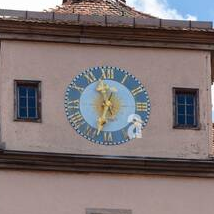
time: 12:32
